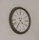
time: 4:35
